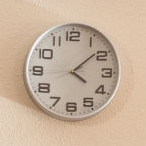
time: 4:08
